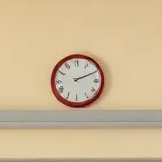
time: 2:10
